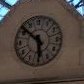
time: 5:51
